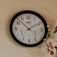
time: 1:52
